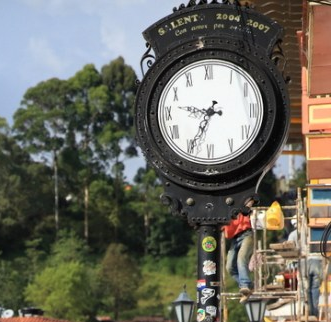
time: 9:34
